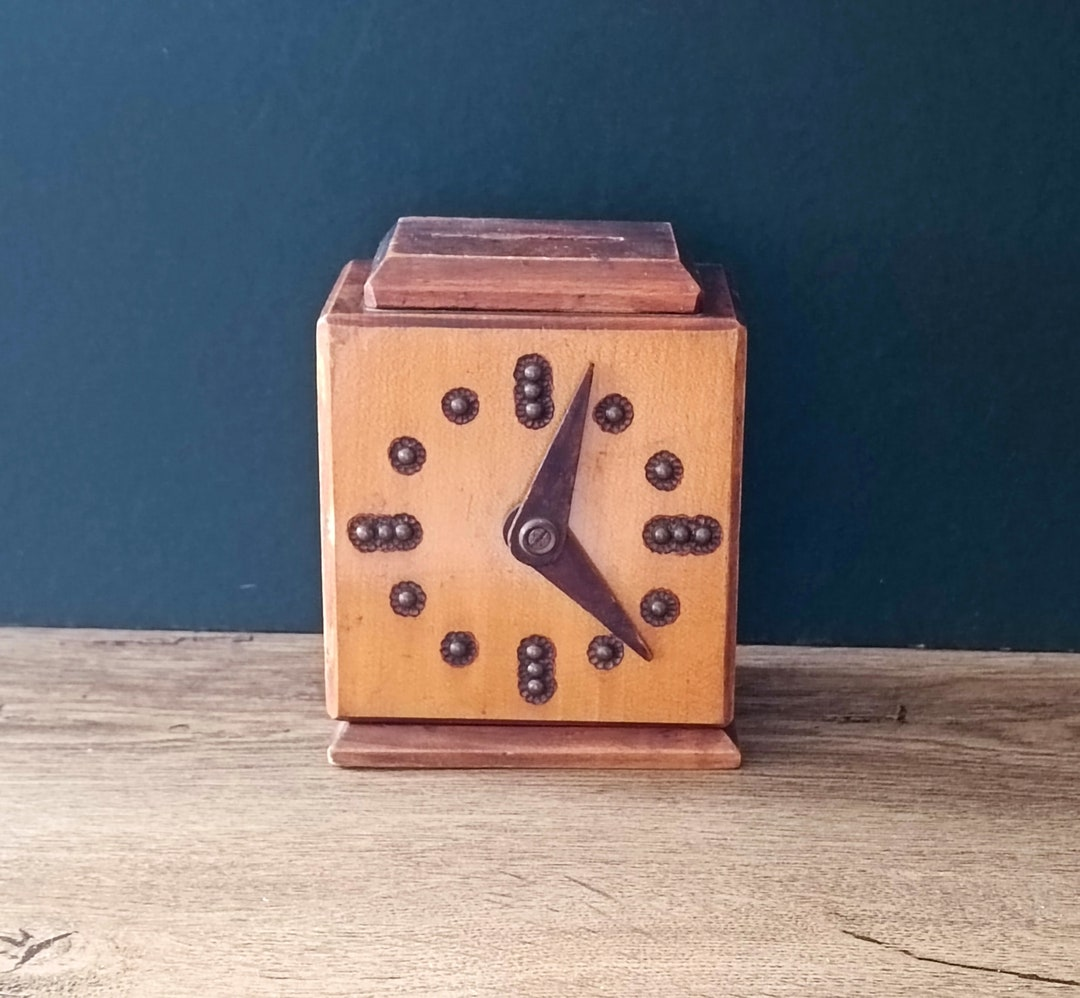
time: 12:22
